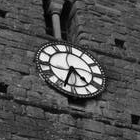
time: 4:33
